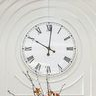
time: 10:00
